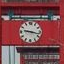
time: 9:17
